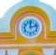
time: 12:12
